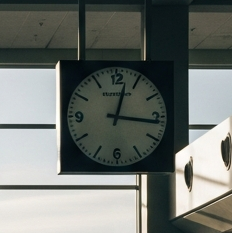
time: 12:16
